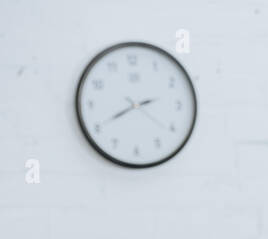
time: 2:40
